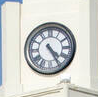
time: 4:24
